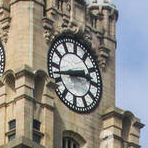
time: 2:42
